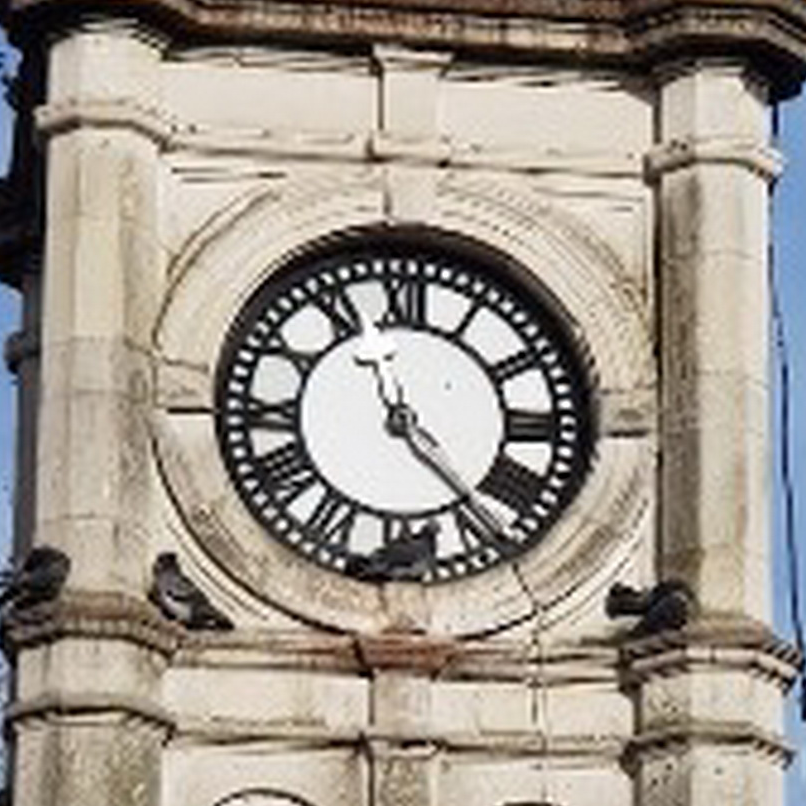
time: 11:22
